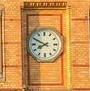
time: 7:49
